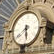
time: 5:38
